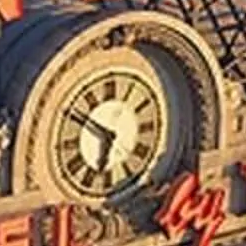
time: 6:50
